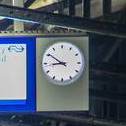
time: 8:50
